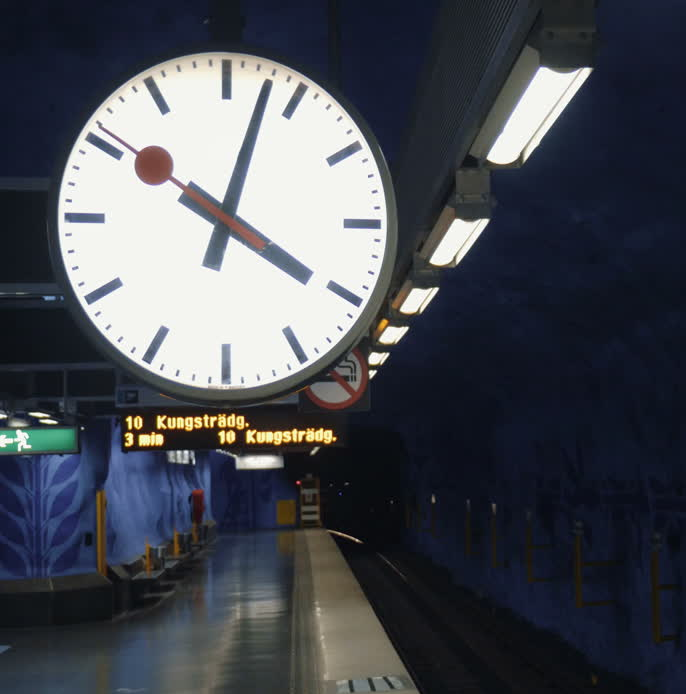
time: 4:02
